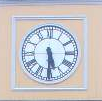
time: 5:30
